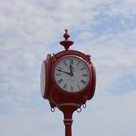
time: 11:48
